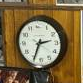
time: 2:34
